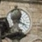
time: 12:18
